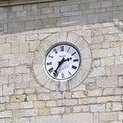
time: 2:35
